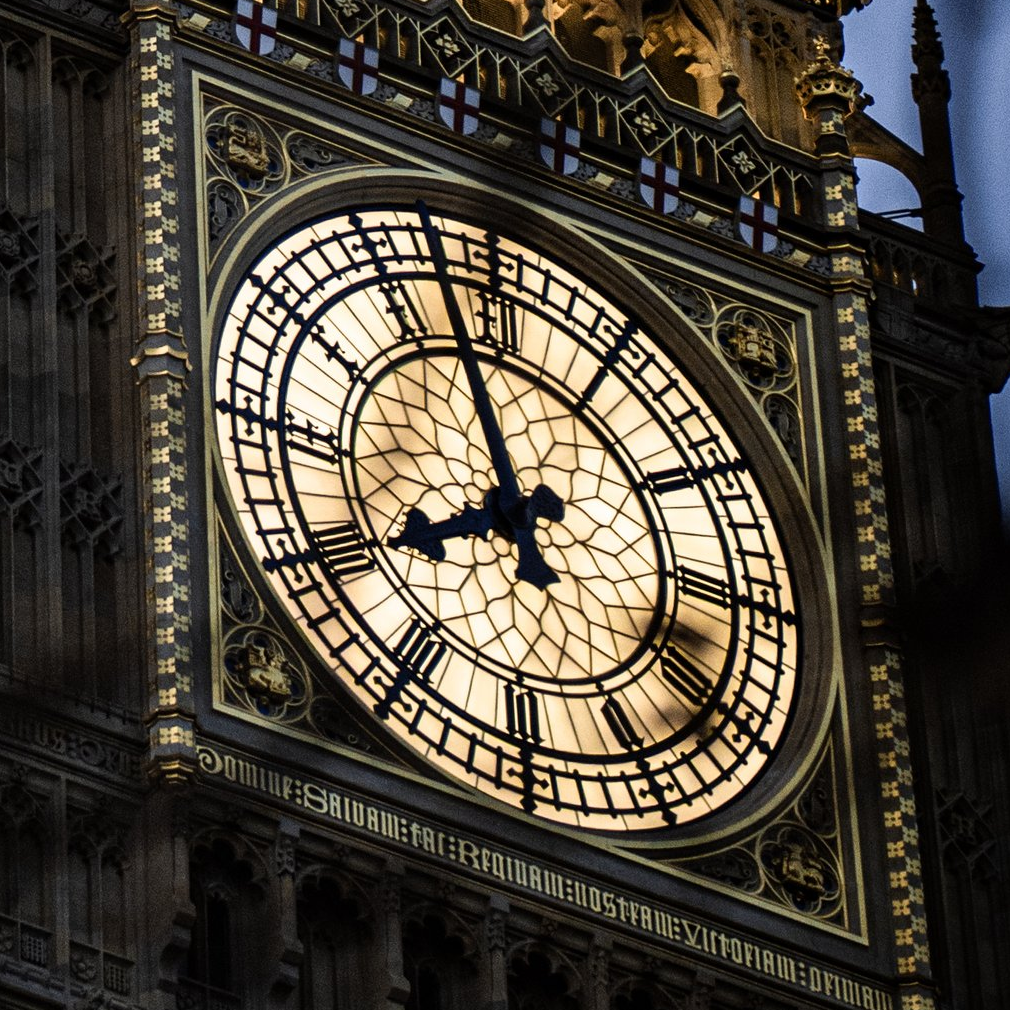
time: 7:57
